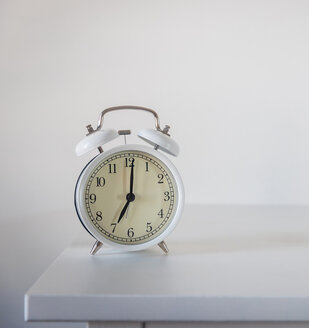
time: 7:01
